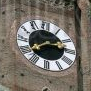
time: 2:38
